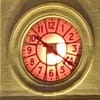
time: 10:20
